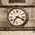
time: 7:18
